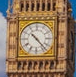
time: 10:22
